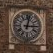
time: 3:02
